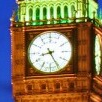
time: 8:25
